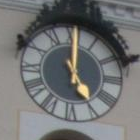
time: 5:00
